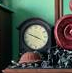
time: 3:48
